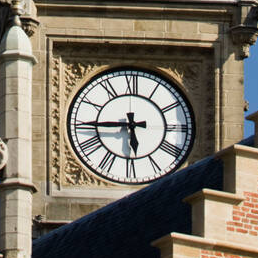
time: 5:44
